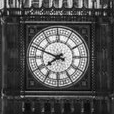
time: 7:48
